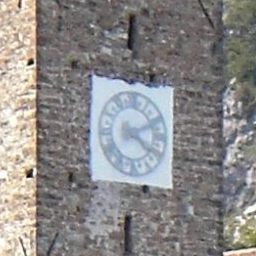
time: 4:10
